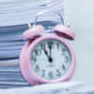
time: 11:00
